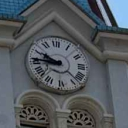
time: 9:45
